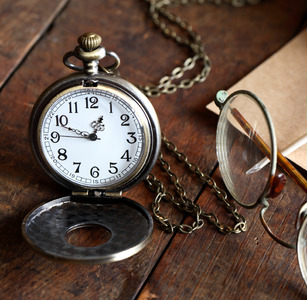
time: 12:48
